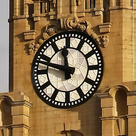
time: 11:47
